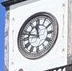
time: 11:47
